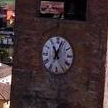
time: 11:03
